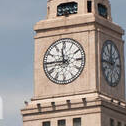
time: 11:44
